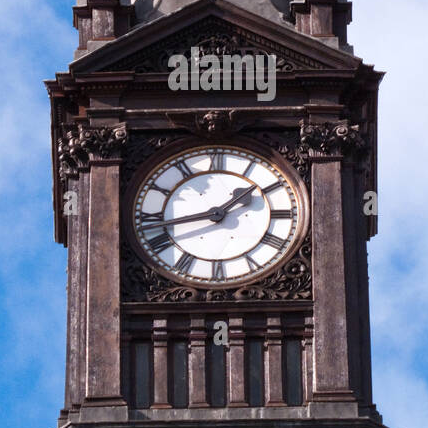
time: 1:42
